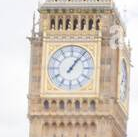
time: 1:06
